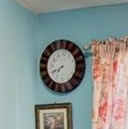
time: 7:40
